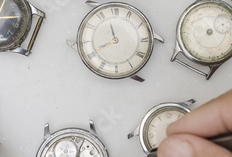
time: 11:41
